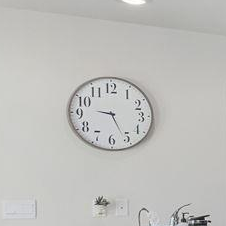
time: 9:25
